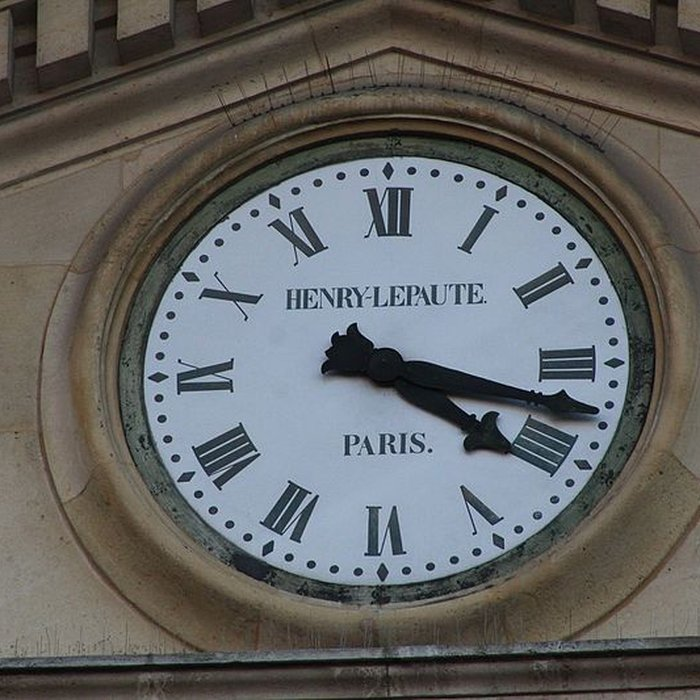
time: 4:17
